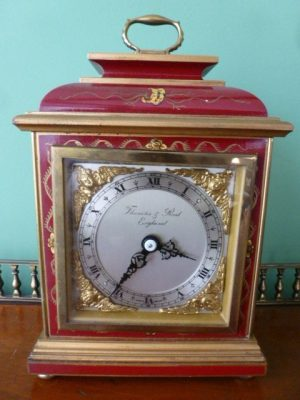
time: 3:36
